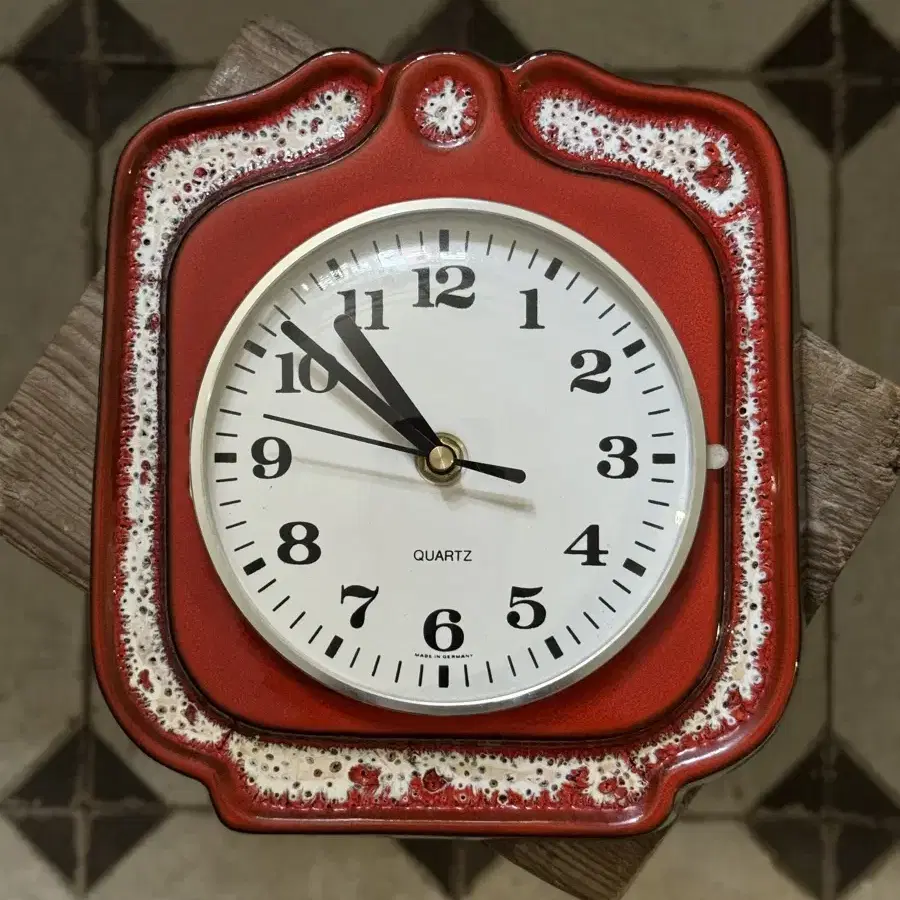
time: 10:51
